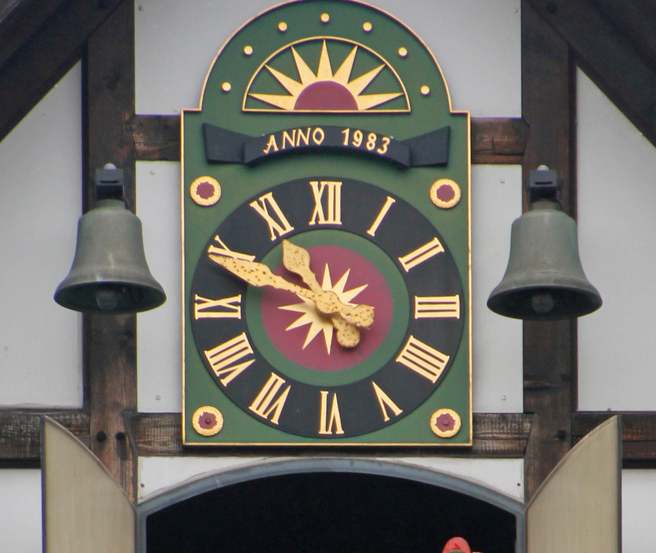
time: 10:49
